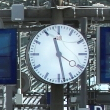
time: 11:28
